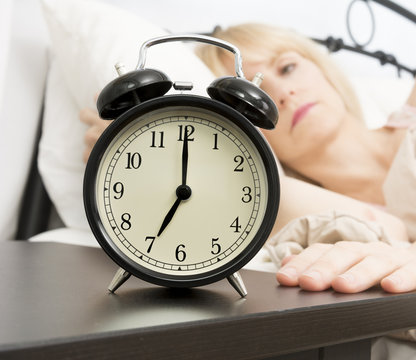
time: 7:00
